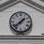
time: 1:38
